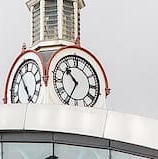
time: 10:34
